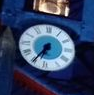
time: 6:35
